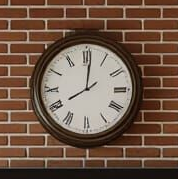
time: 8:01
